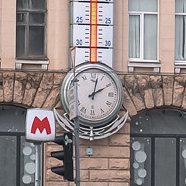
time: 2:02
